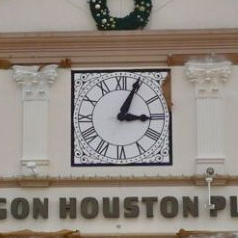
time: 3:04
